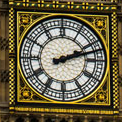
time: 2:12
